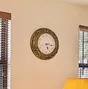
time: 5:16
